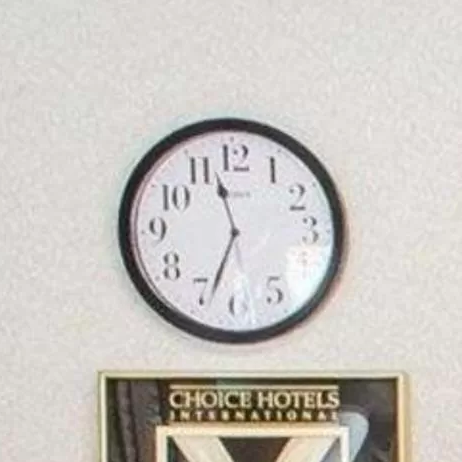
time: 11:33
